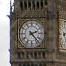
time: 2:22
